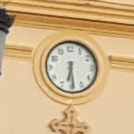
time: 6:29
